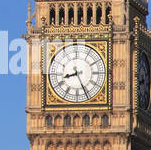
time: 8:26
